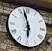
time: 5:57
